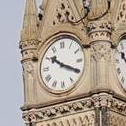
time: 10:19
